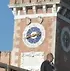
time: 2:40
